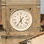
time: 5:35
